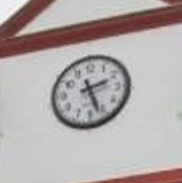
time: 2:26
